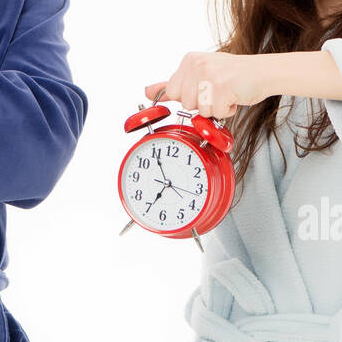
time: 6:54
